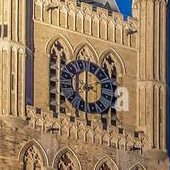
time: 12:32
